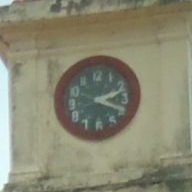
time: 2:19
